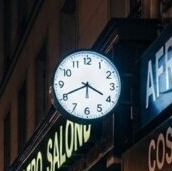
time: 3:40
